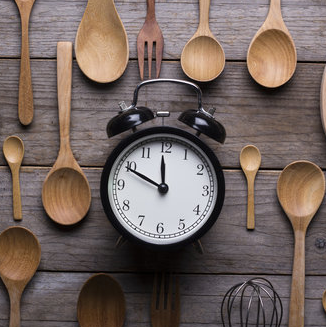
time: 11:49
